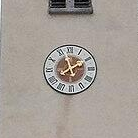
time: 7:57
